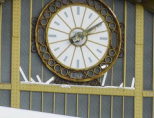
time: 2:09
